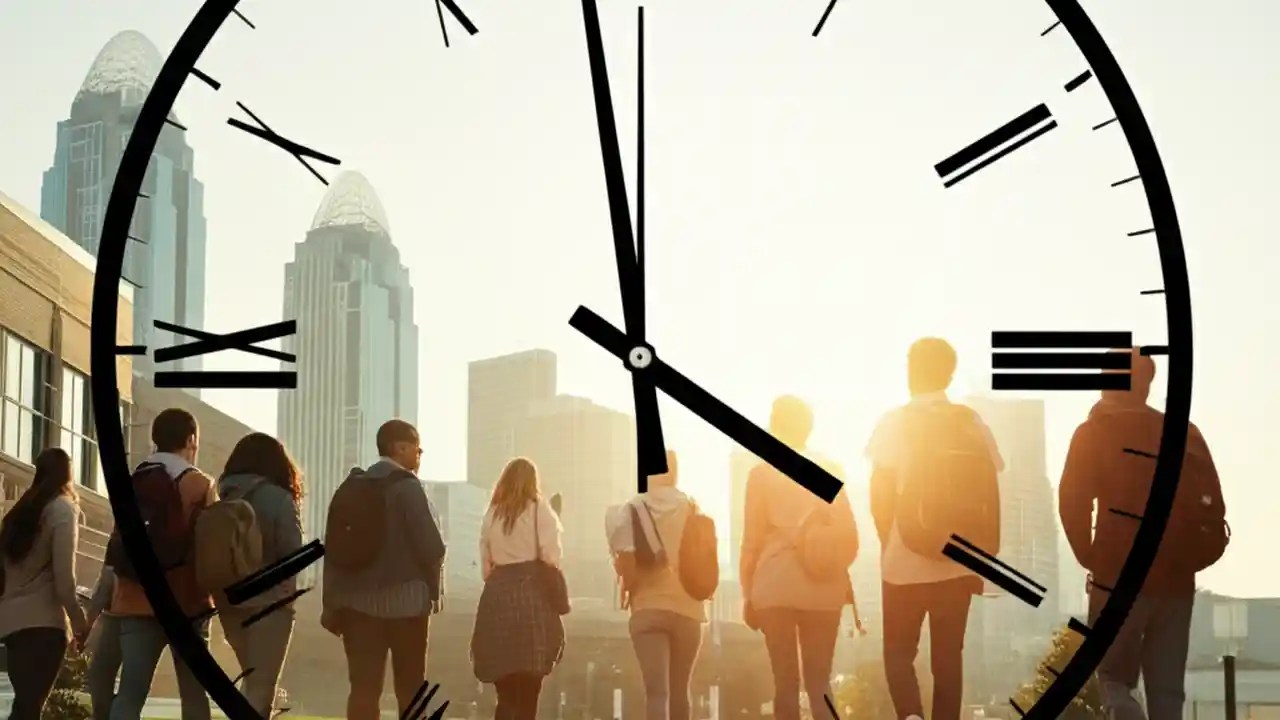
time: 3:58
